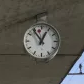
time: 12:54
